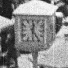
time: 12:23
